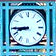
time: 8:44
